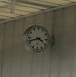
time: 3:41
